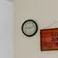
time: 9:11
